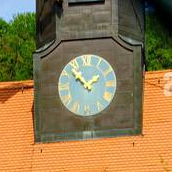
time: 1:52
